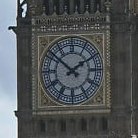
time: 1:51
